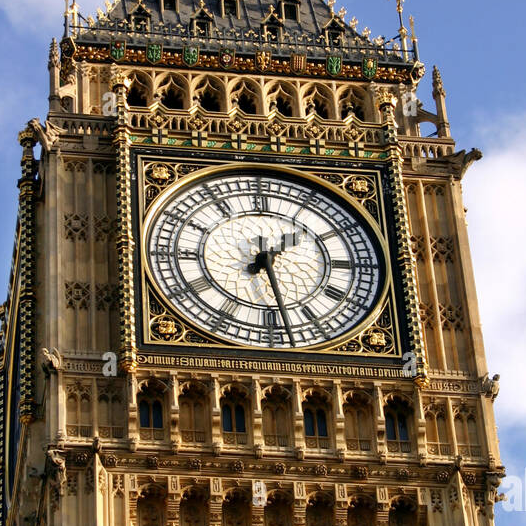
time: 1:28
